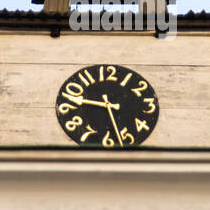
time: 9:27
